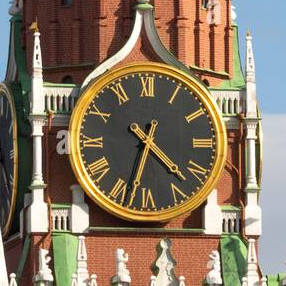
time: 4:33
